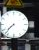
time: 7:37
